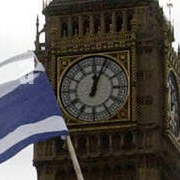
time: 12:03
